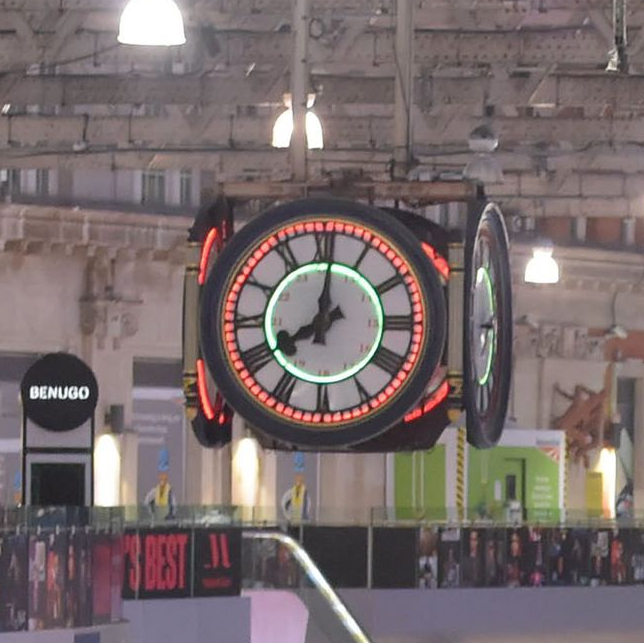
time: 8:01
